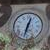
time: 12:32
